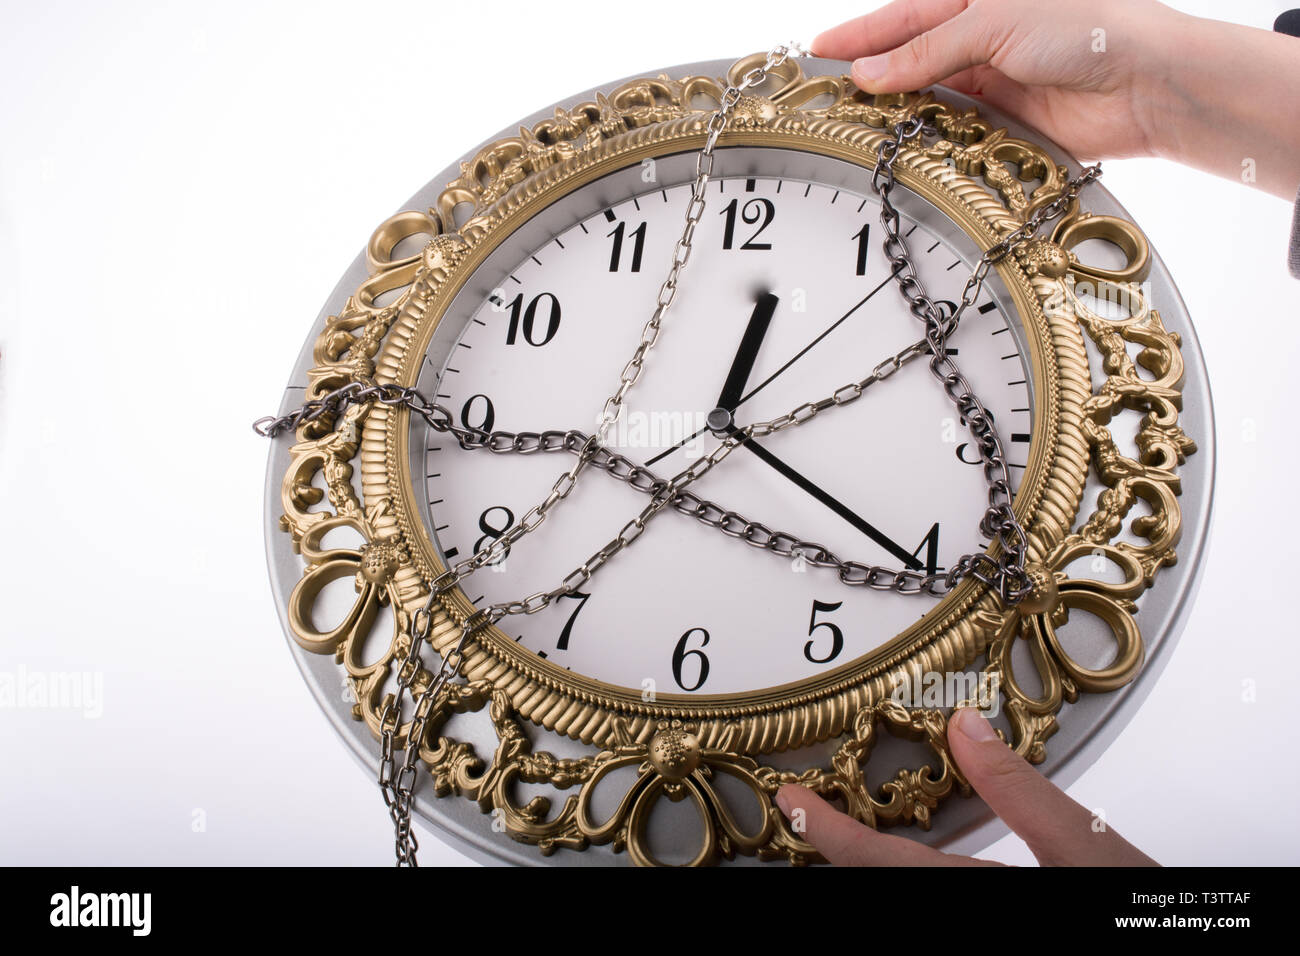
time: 12:20
